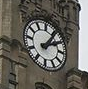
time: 2:06
